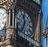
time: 11:35
